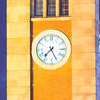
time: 7:25
